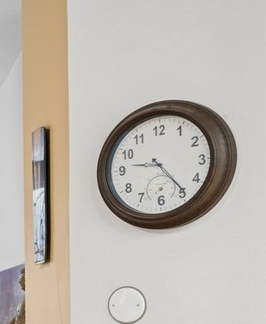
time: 9:23
